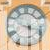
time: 3:29
